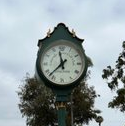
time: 11:37
